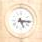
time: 5:15
